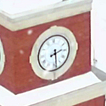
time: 2:29
